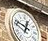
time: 12:48
